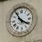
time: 3:54
